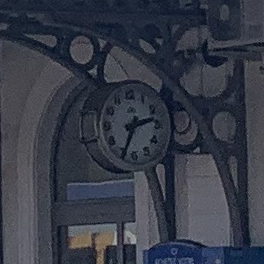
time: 2:34
